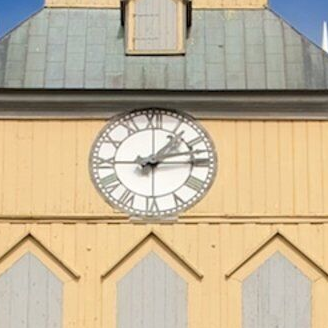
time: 1:13
